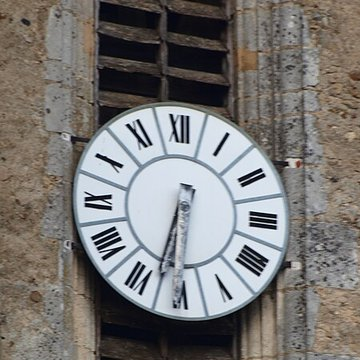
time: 6:32
